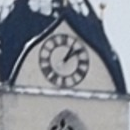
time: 1:09
